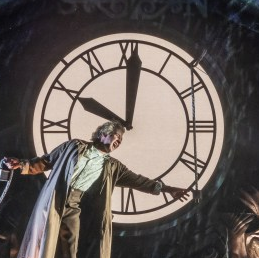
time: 10:00
